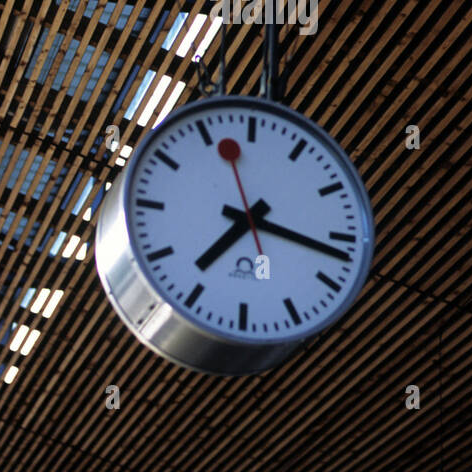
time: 7:17
